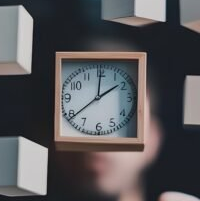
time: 2:00
